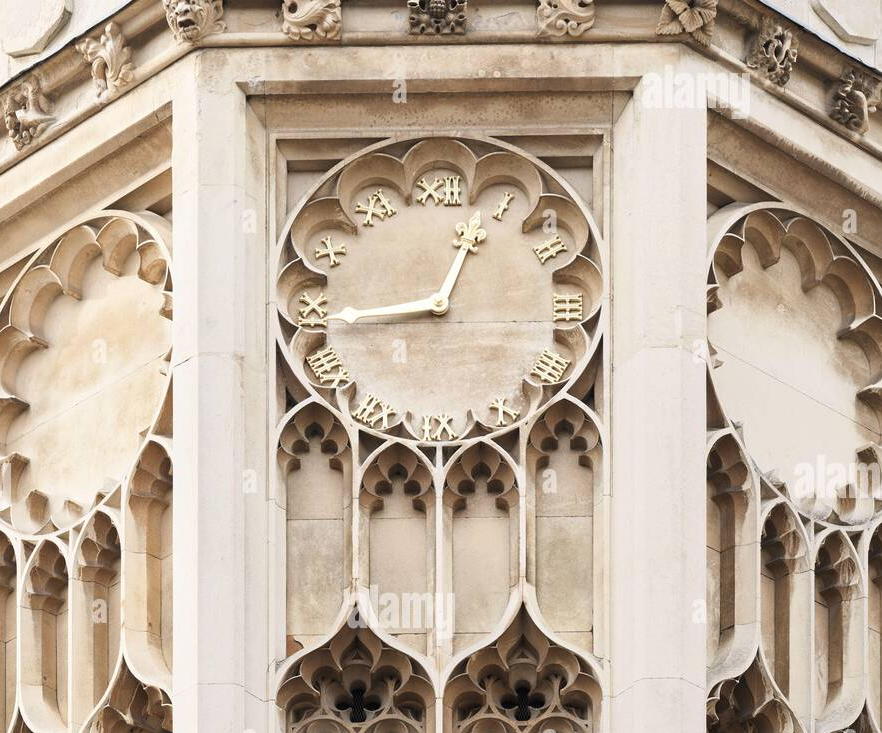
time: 12:44
